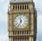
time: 11:34
